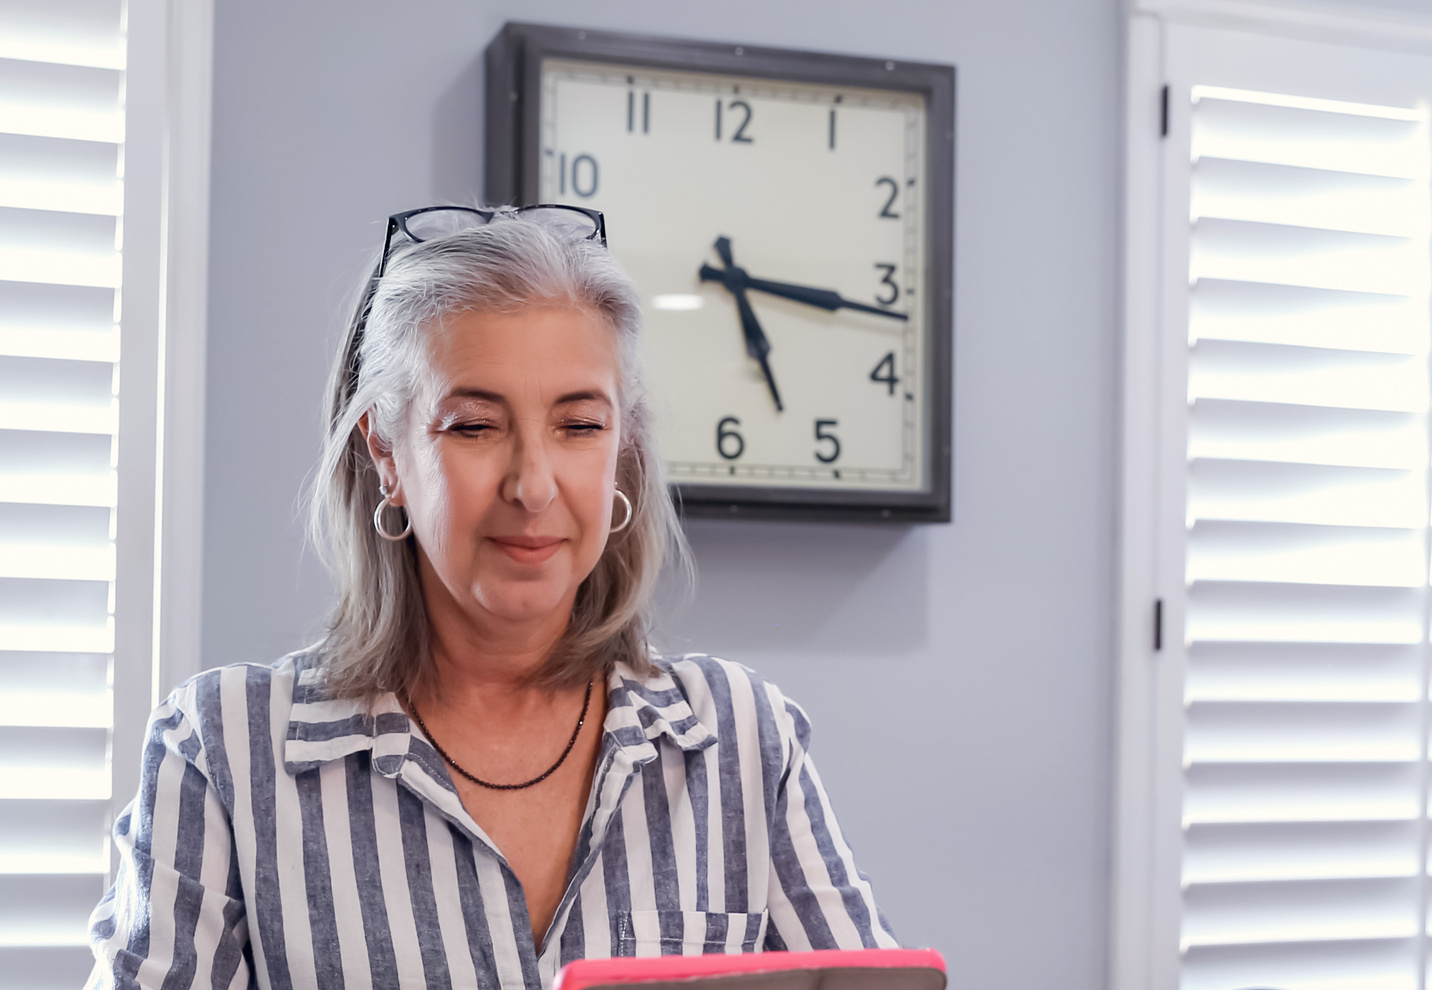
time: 5:16
